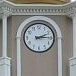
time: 2:14
